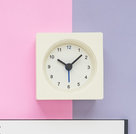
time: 10:07
